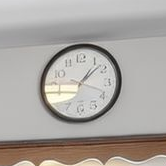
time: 1:07
